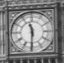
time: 11:30
